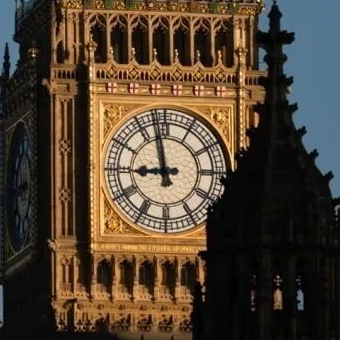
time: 8:57
